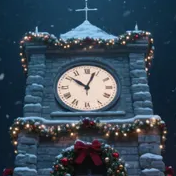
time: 10:03
